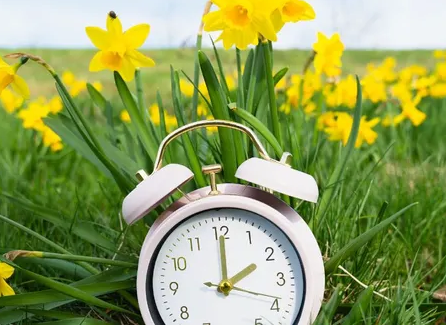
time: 2:00
